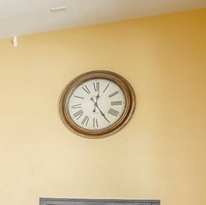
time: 12:24
